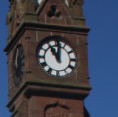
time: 11:01
